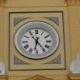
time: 6:23
